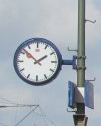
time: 1:51
